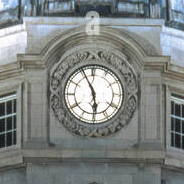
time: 5:55
